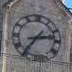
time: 2:36
